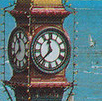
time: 11:37
